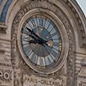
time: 8:49
